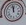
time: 11:57
